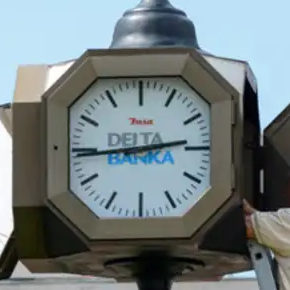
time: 2:44
